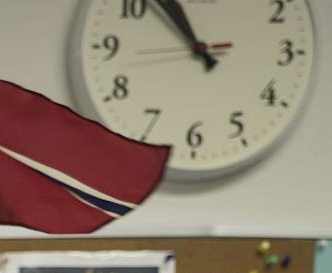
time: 10:52
